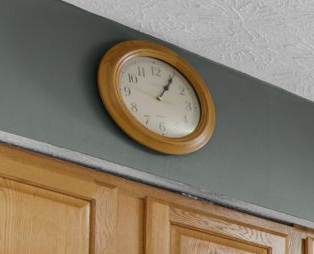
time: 1:05
